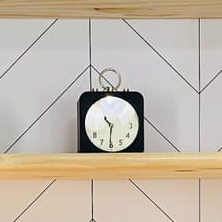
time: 10:30
